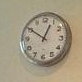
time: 12:50
